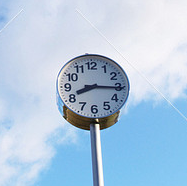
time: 8:15
